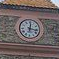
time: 12:16
